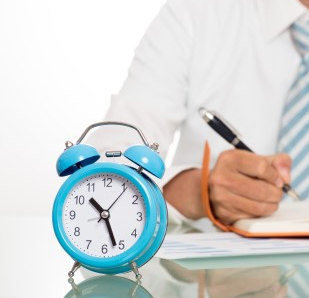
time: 10:26
